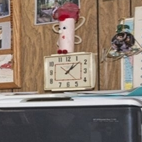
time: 1:07
